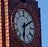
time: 6:10
